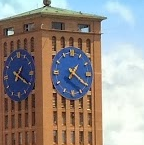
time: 1:20
